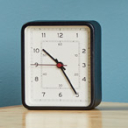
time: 10:24
